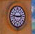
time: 2:46
